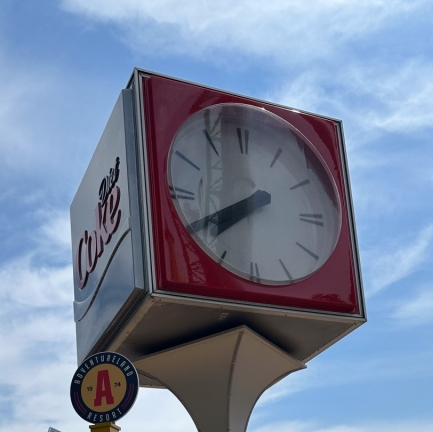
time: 7:40
